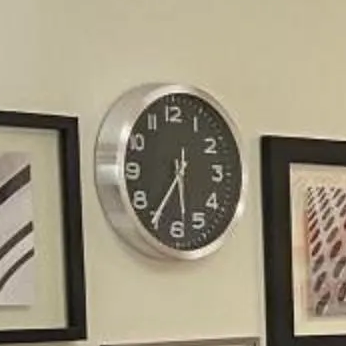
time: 5:35
